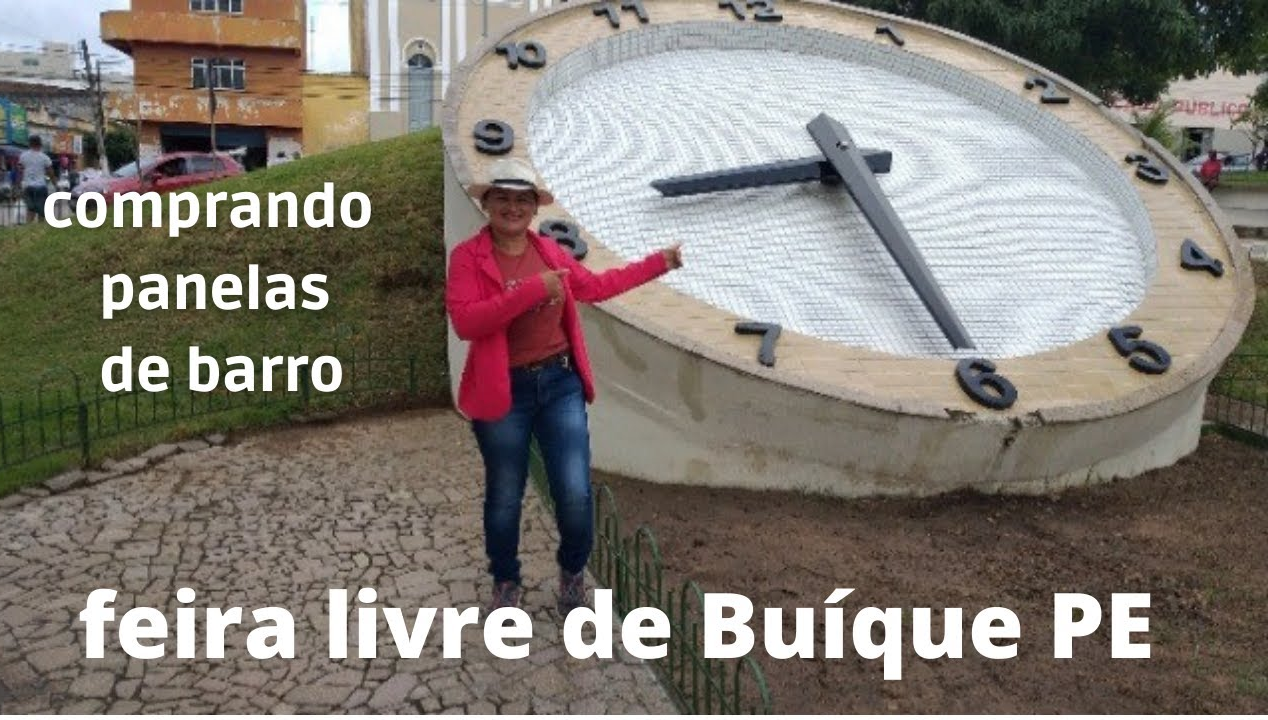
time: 8:29
